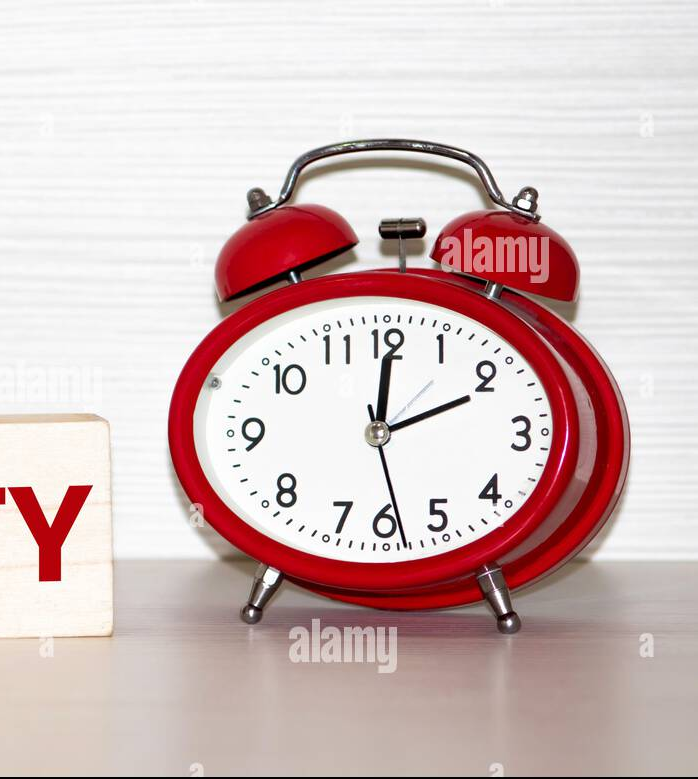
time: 2:00
